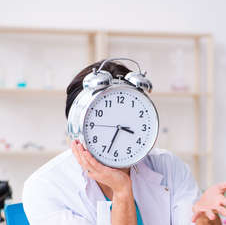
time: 3:33
